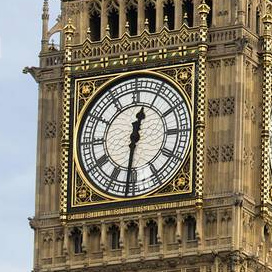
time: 12:31
